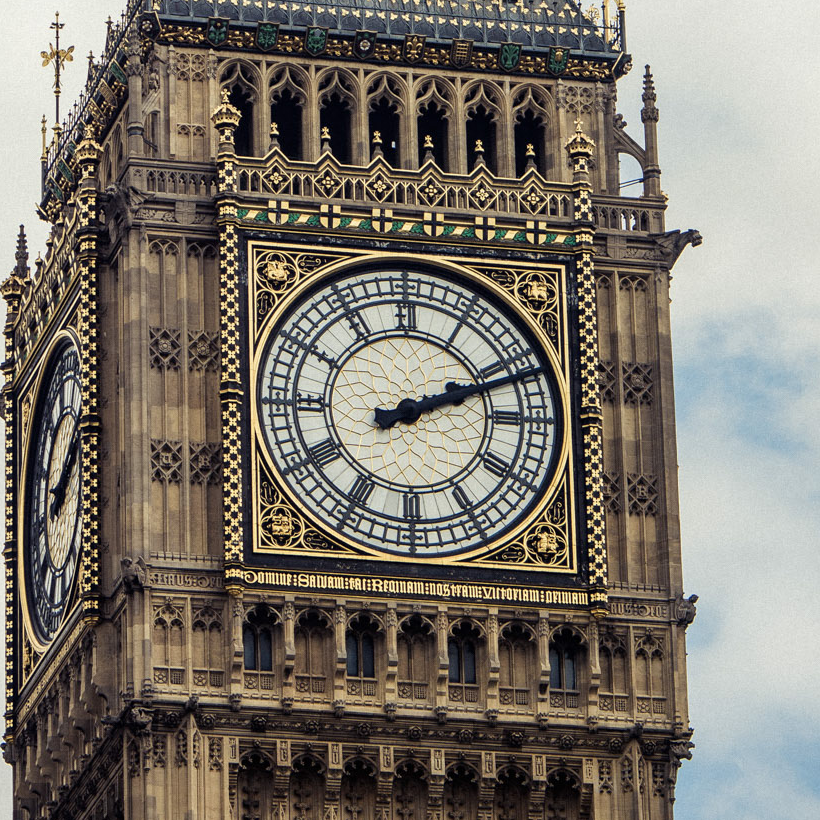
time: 2:11
